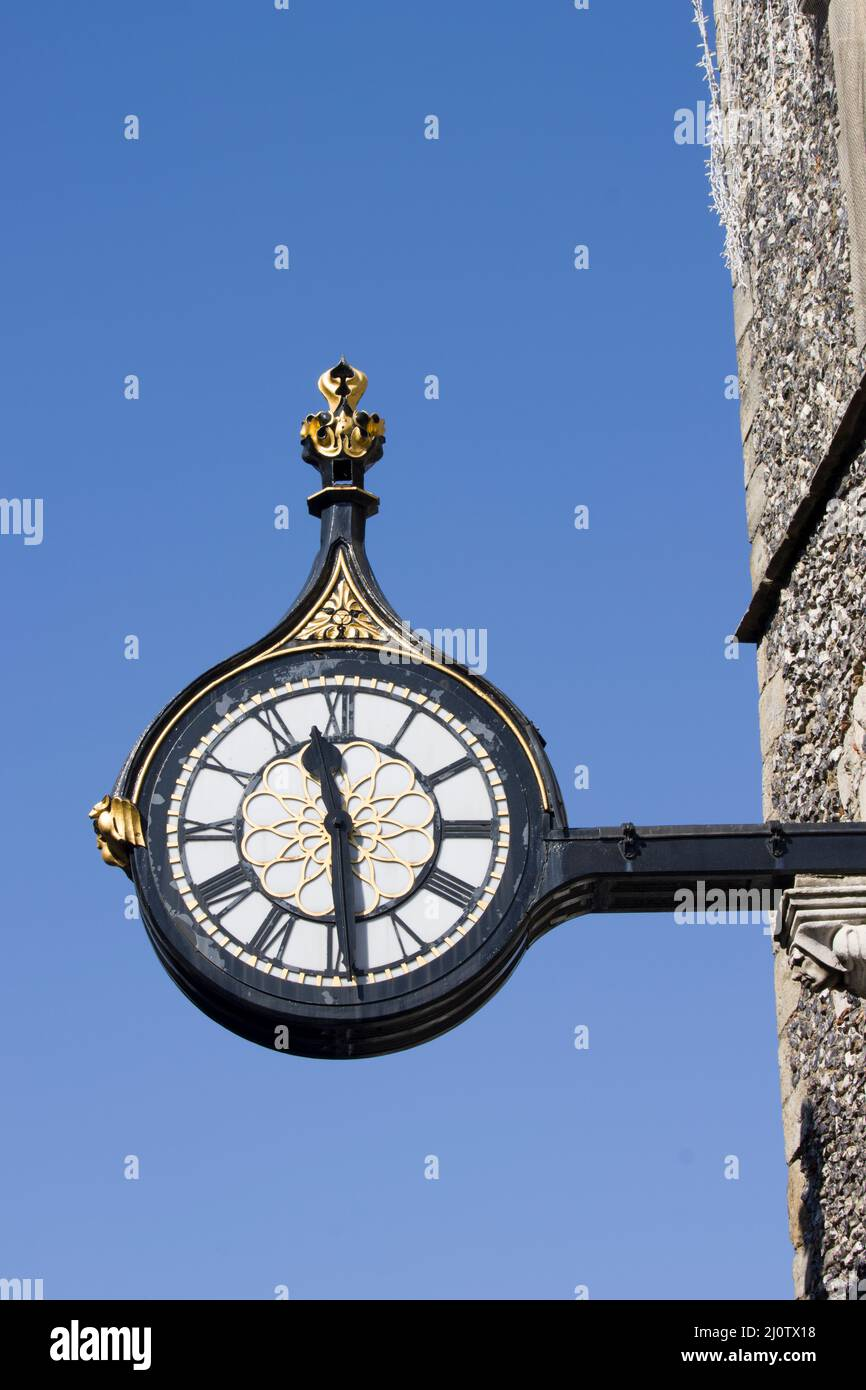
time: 11:28
